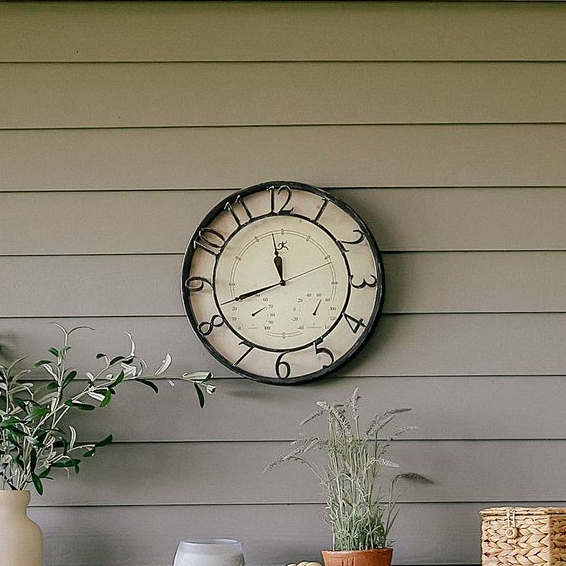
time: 11:41
